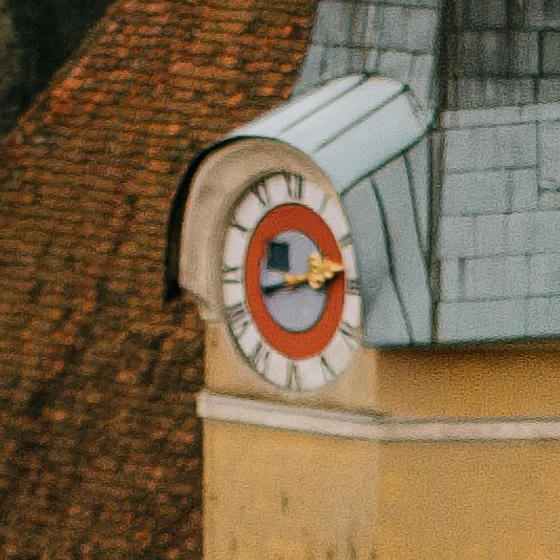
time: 2:42
